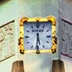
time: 5:31
